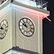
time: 9:53
